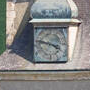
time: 3:47
